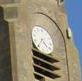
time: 4:35
